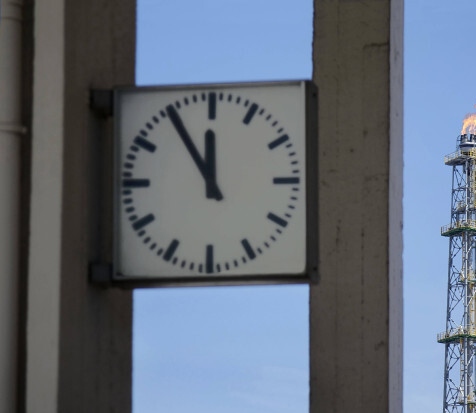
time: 11:54
